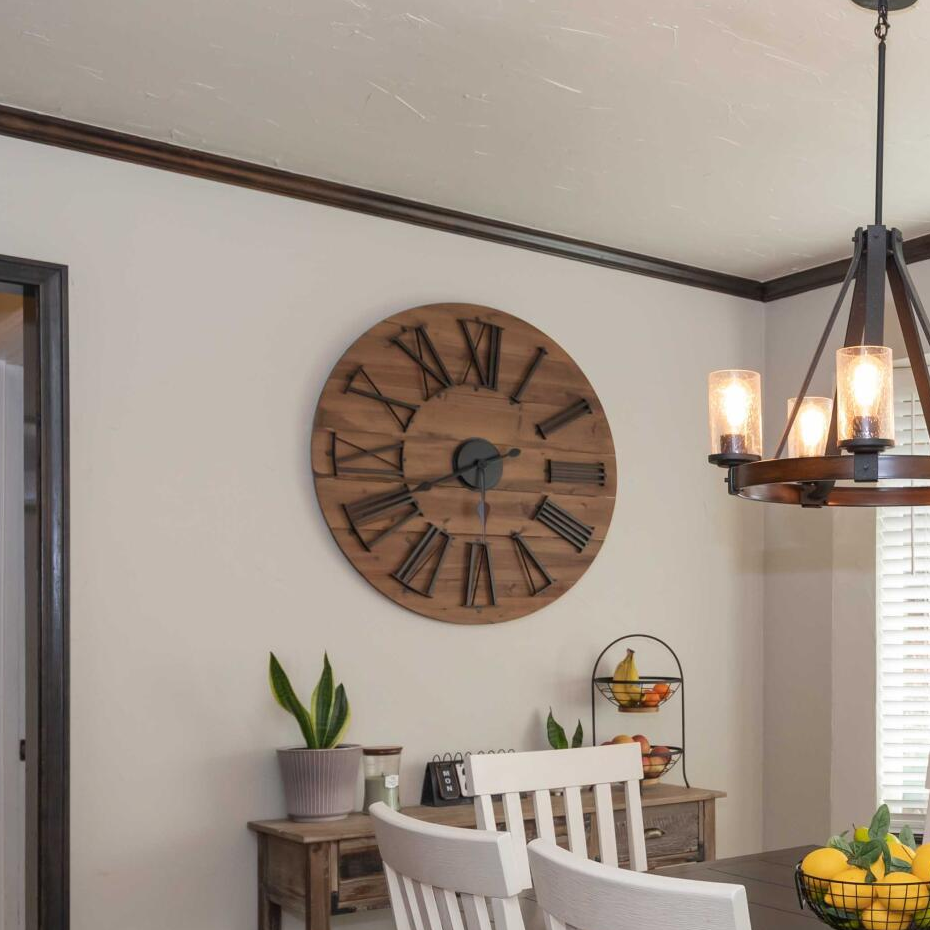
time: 5:41
